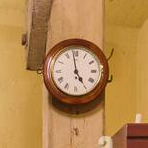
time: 4:58
